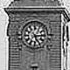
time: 5:14
